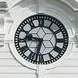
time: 9:32
